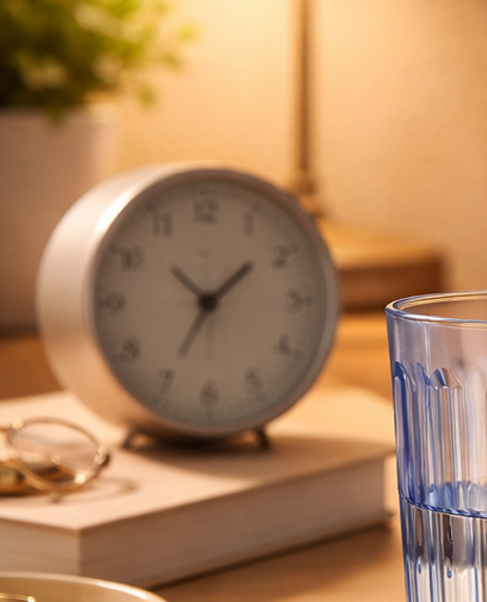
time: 1:34
